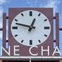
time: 12:47
